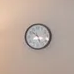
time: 10:26
